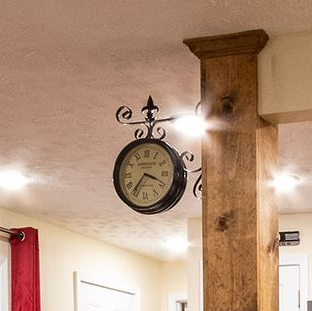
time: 3:36
